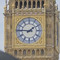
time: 1:46
